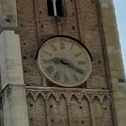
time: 9:20
